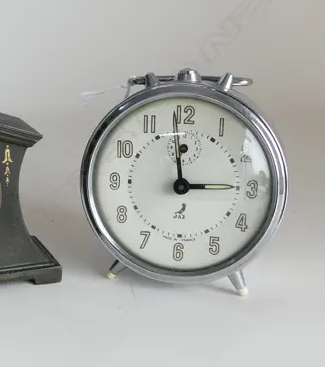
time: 2:59
